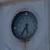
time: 5:35
